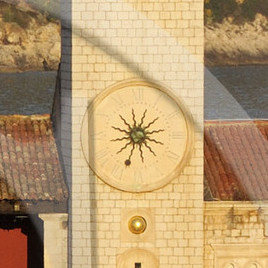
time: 1:33
